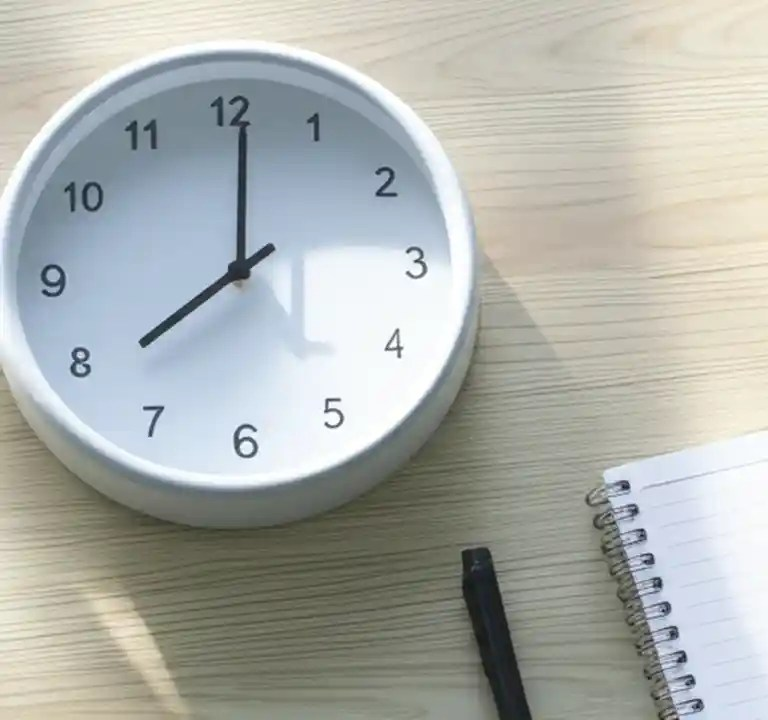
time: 8:00
